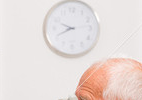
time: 9:41
